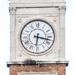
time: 6:17
